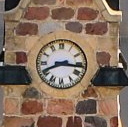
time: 8:16
